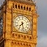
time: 7:28
